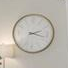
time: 2:17
